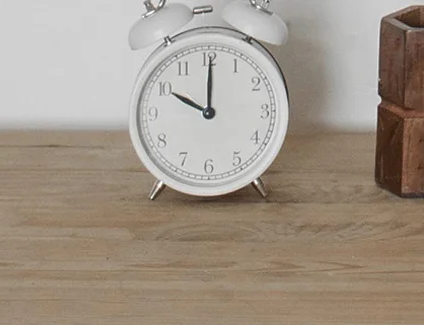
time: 10:00
